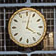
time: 4:02
